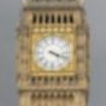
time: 4:18
